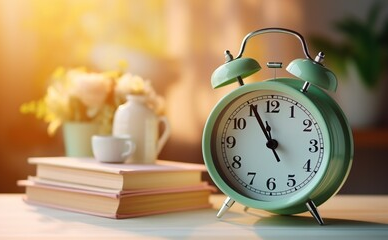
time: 10:55
